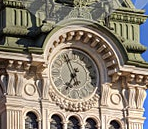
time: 6:56
